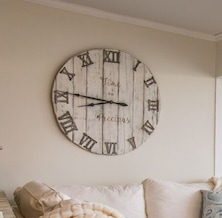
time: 8:46
